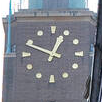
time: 12:49
